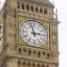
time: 2:57
